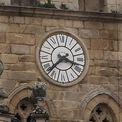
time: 3:38
